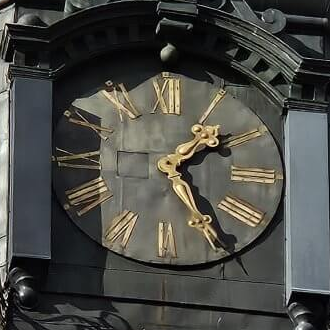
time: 1:24
